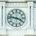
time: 3:46
